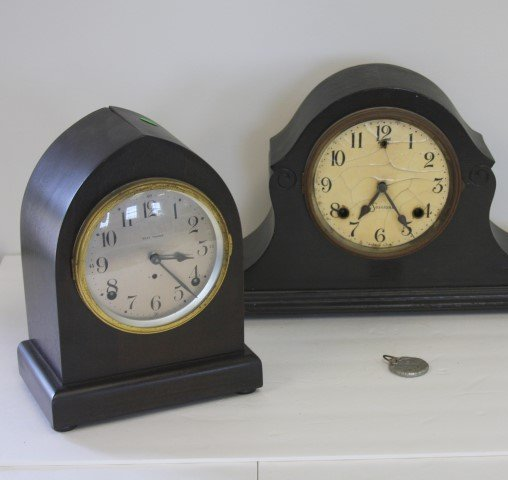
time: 3:22
